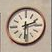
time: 2:30
